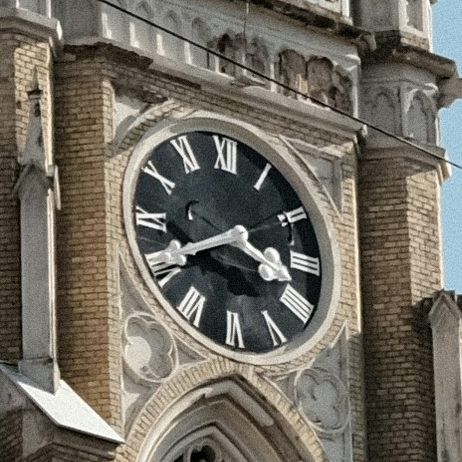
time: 3:40
